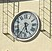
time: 5:35
